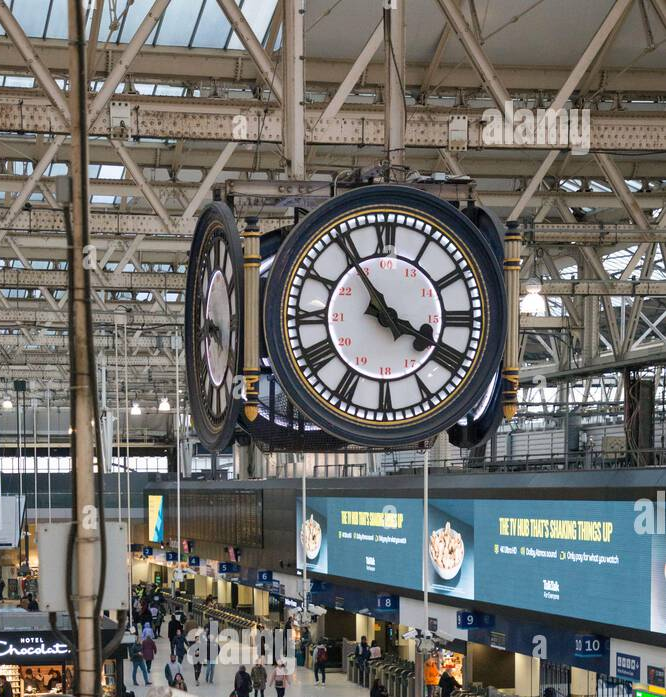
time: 3:54
